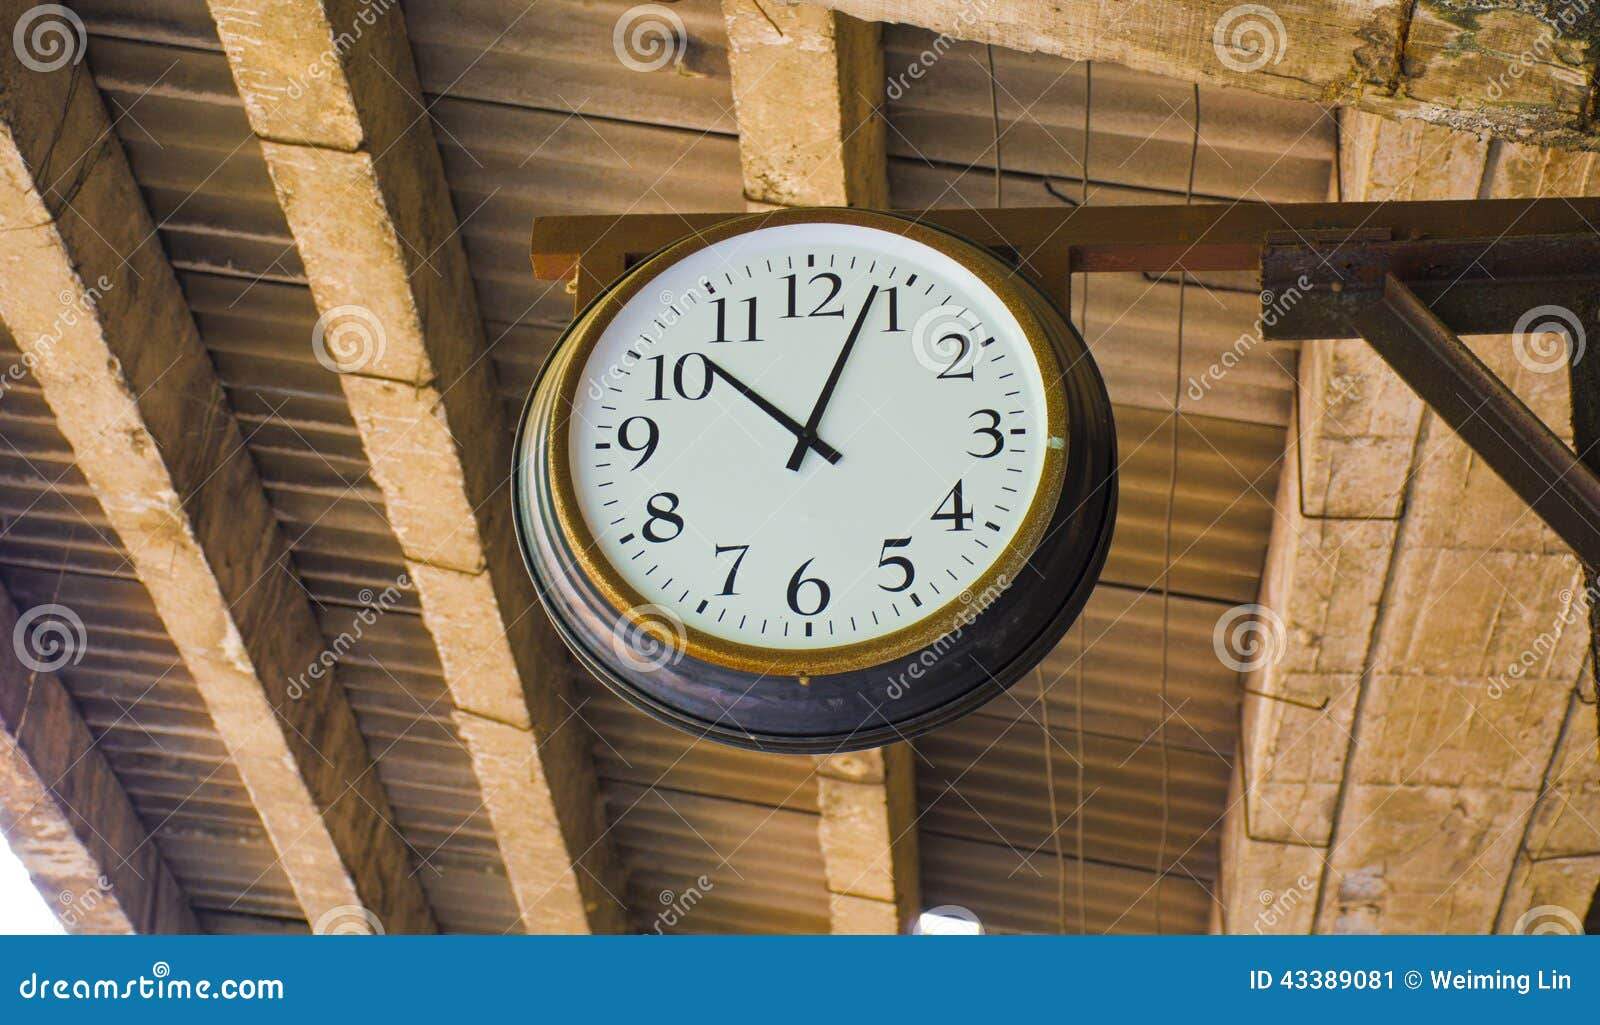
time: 10:03
